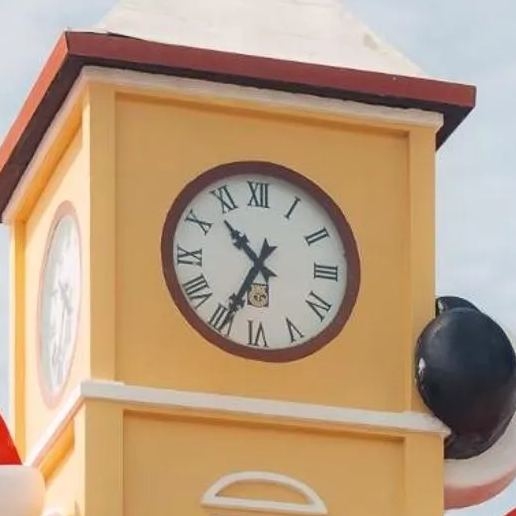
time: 10:34
